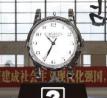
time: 10:34
